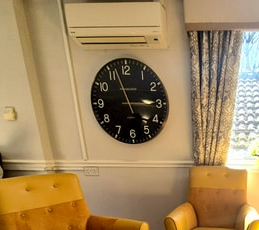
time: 2:56
